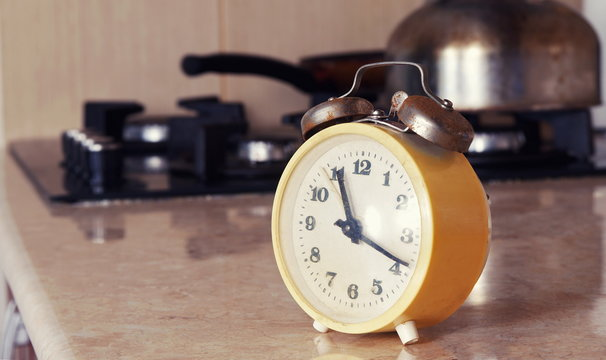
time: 11:18
